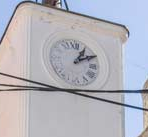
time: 1:10
